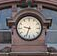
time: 9:33
